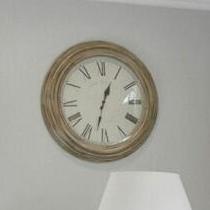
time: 12:32
